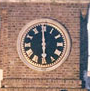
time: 5:59
